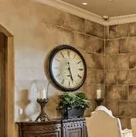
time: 5:26
